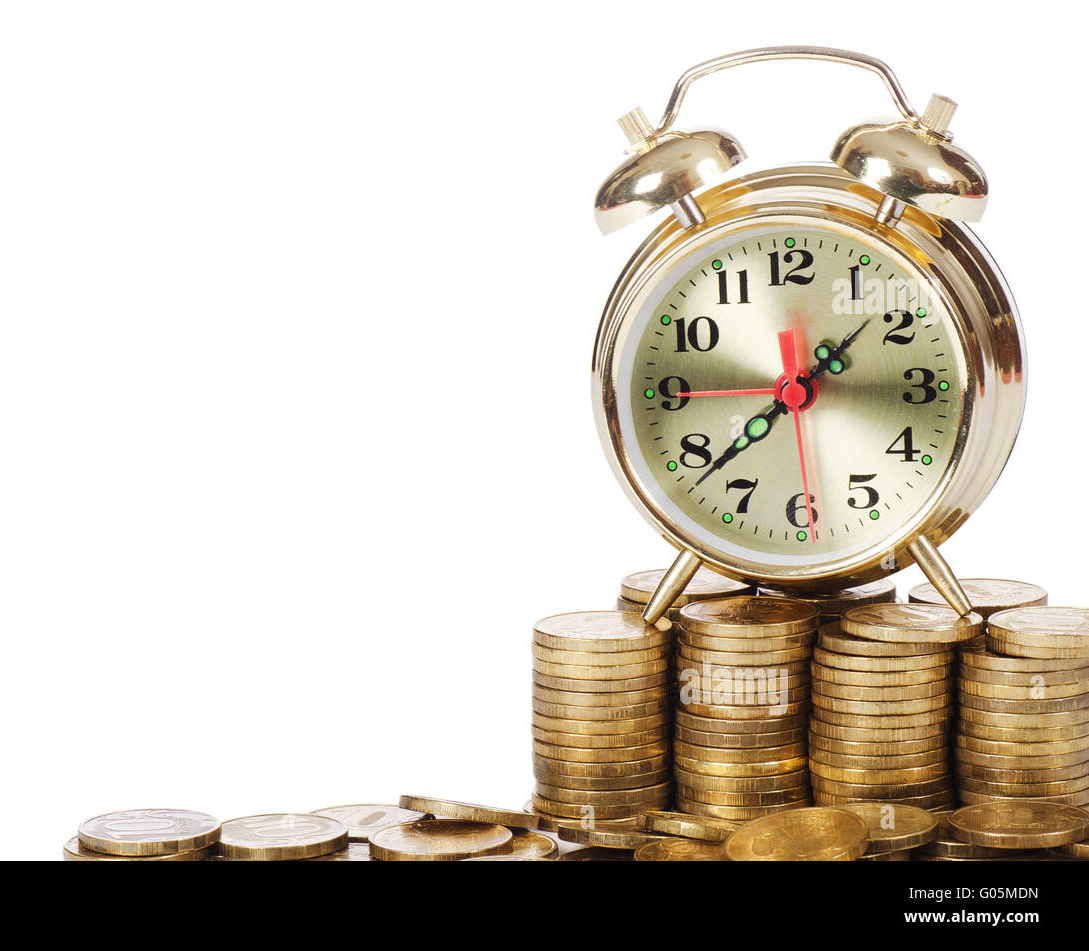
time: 1:38
